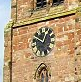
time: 12:49
